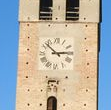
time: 2:52
